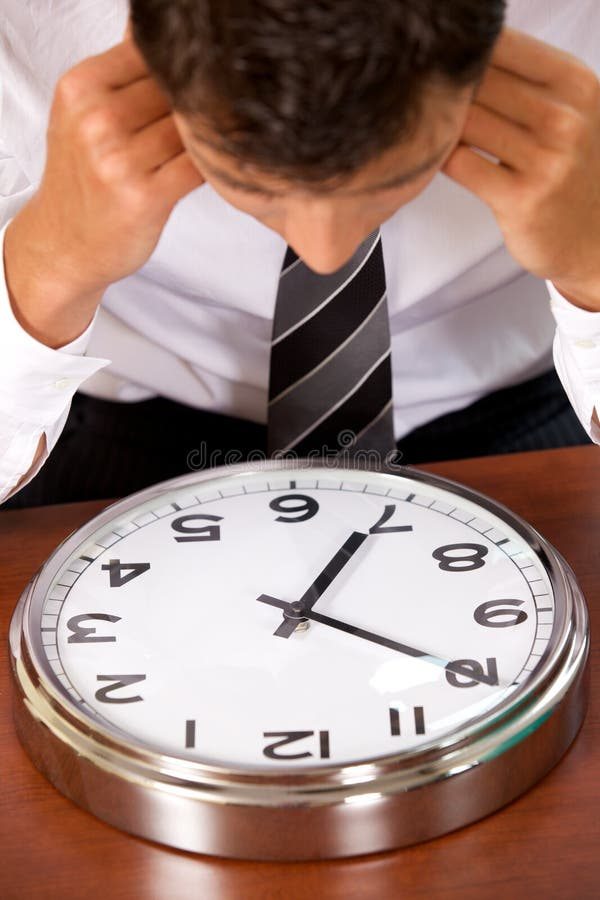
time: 4:04
